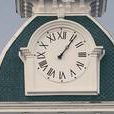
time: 1:06
